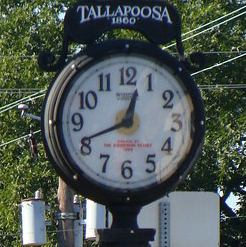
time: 12:41
